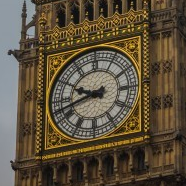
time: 9:42
